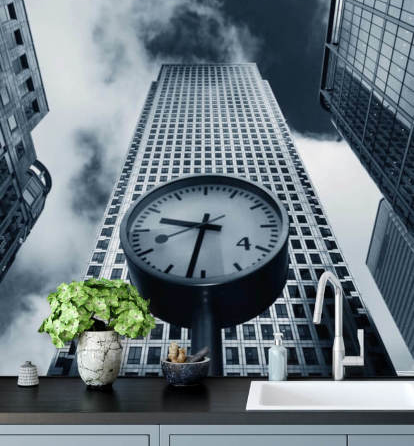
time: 9:32
